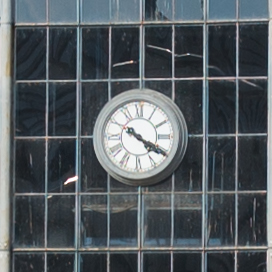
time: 4:20
